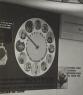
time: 9:51
